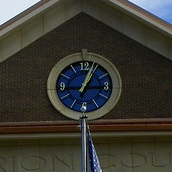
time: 3:03
